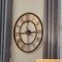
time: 11:44
